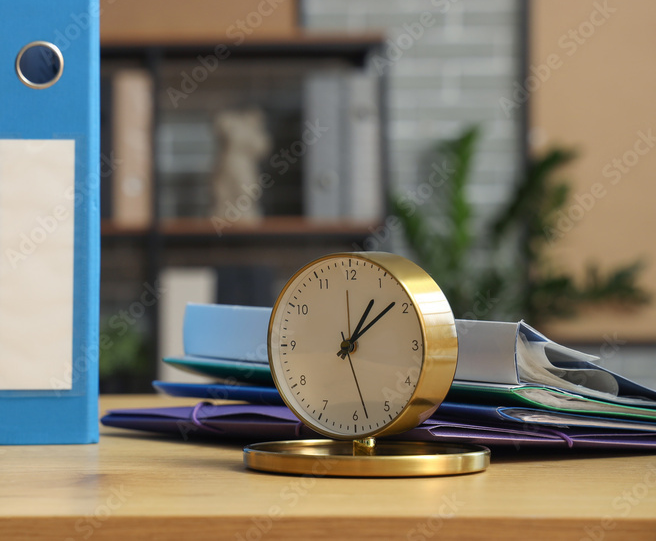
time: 1:08
